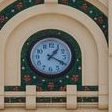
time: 1:19
